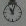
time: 11:02
